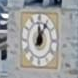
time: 12:05
